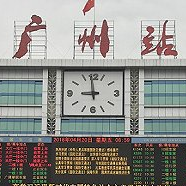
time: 8:59
